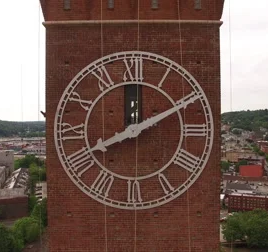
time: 8:10
